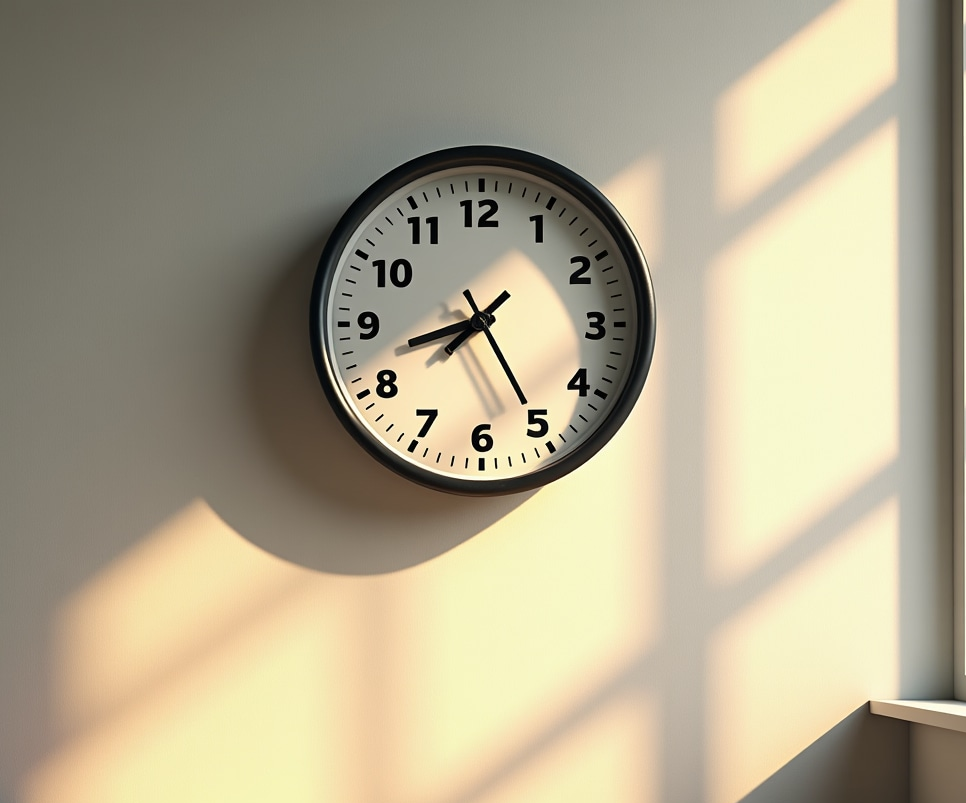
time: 8:25
